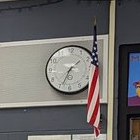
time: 1:34
